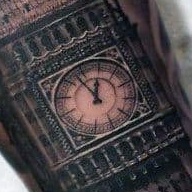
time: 11:52
